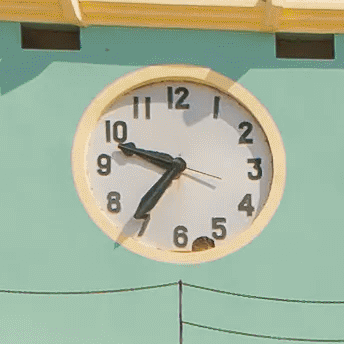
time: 9:36
